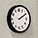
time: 2:09
